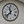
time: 11:37
